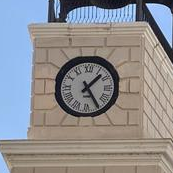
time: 1:24
